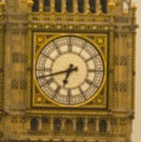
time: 6:42
